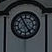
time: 4:55
